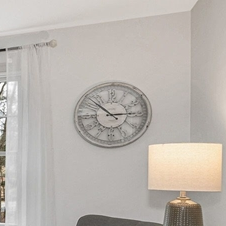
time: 2:52
